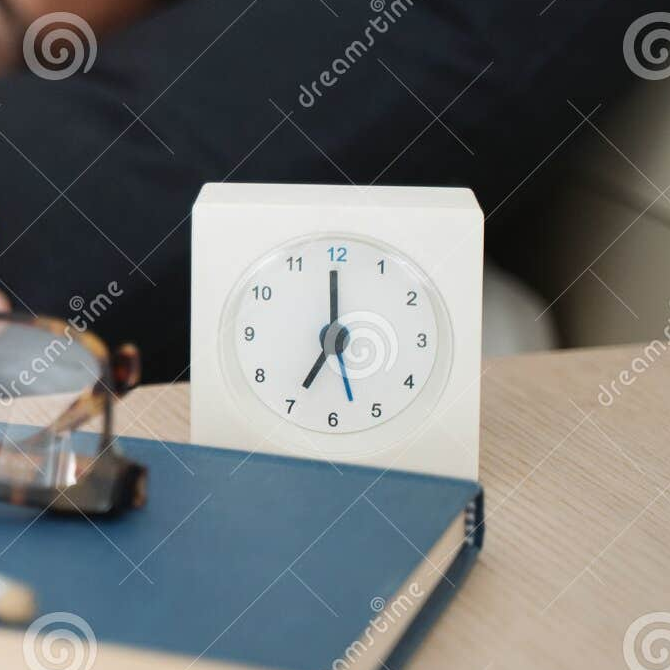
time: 6:59
